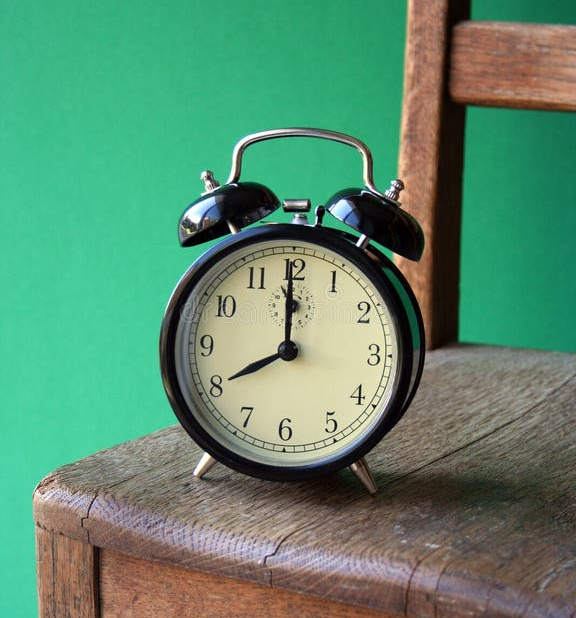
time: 7:59
